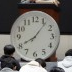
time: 8:06
